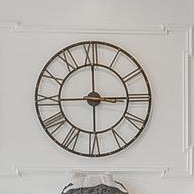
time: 3:00
